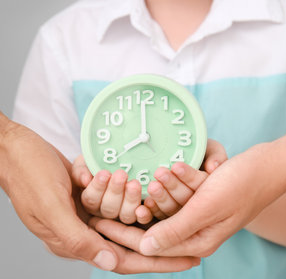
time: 7:59
